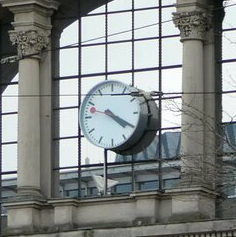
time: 4:20
